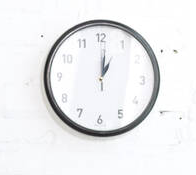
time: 1:01
